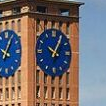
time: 10:05
